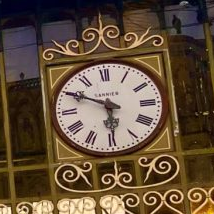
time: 5:49
